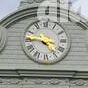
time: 4:46
